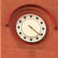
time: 4:21
